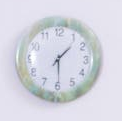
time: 1:29
